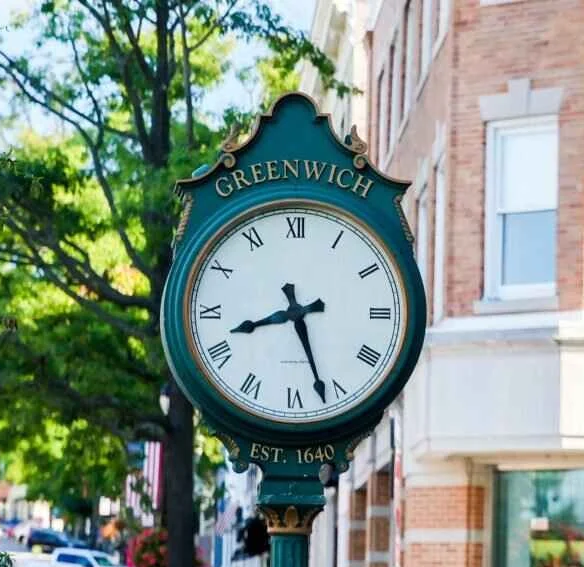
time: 8:26
